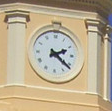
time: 2:21
